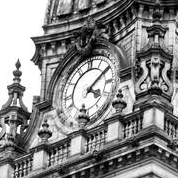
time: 4:09
